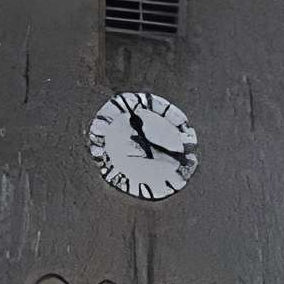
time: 11:17
